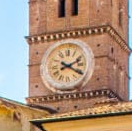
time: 2:19
